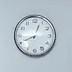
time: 12:41
